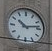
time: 10:13
